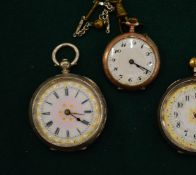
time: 4:20
